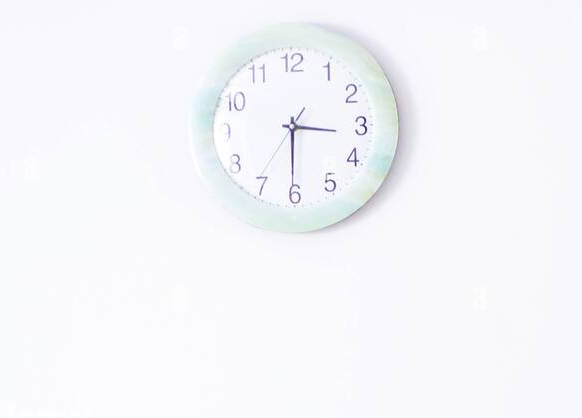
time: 3:30
